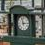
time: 2:57
